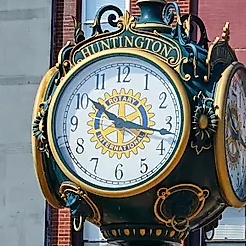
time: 10:16
